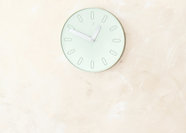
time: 12:49
